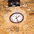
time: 1:26
